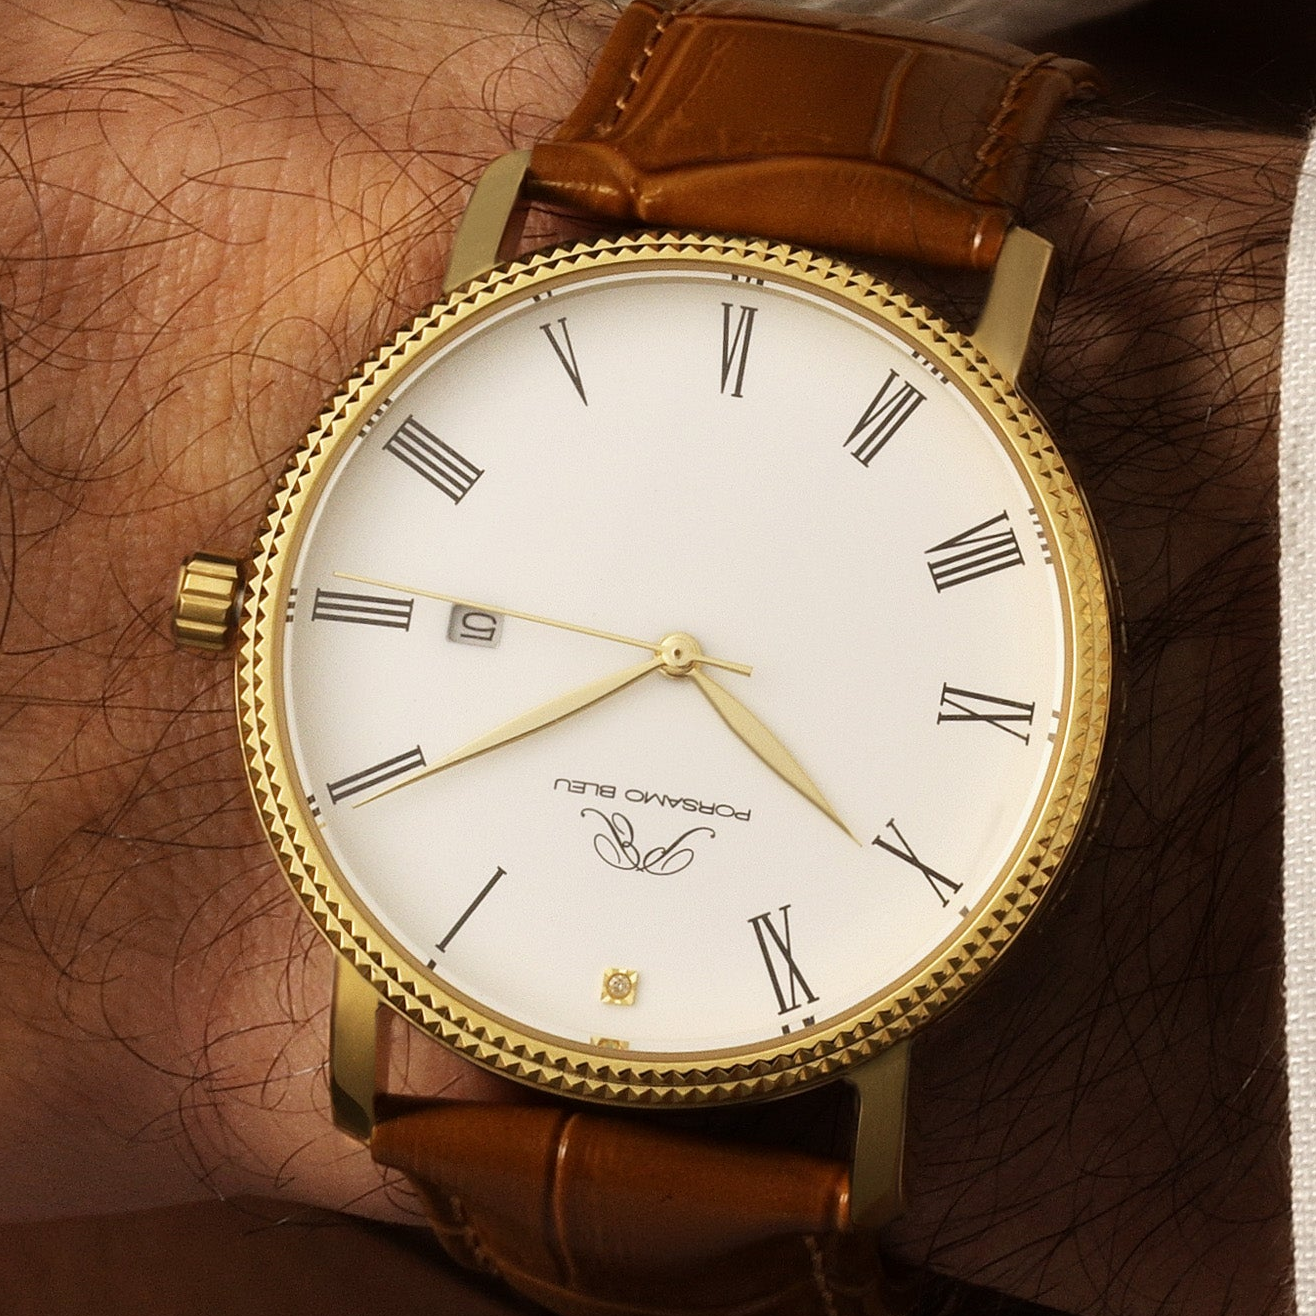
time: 4:45
